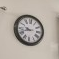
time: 9:42
